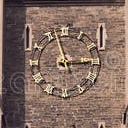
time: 2:57
